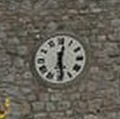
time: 12:28
